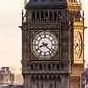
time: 8:21
